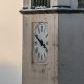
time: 3:49
